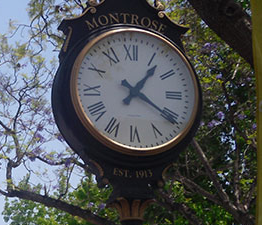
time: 1:20
